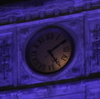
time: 5:09
